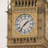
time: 1:36
